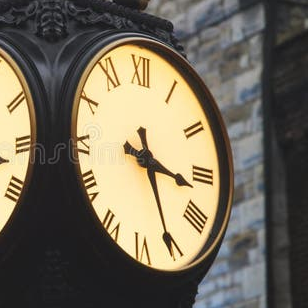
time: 3:25
